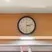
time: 3:12
